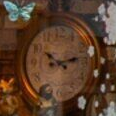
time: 10:12
